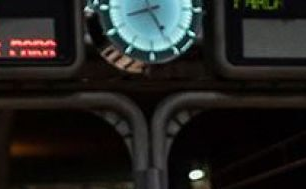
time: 8:25
